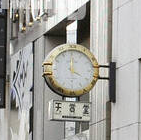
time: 4:00
